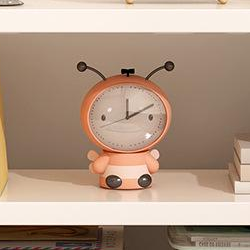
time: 12:10
